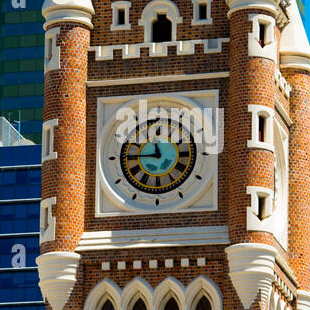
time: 11:45
